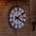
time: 4:09
